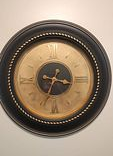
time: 3:33
